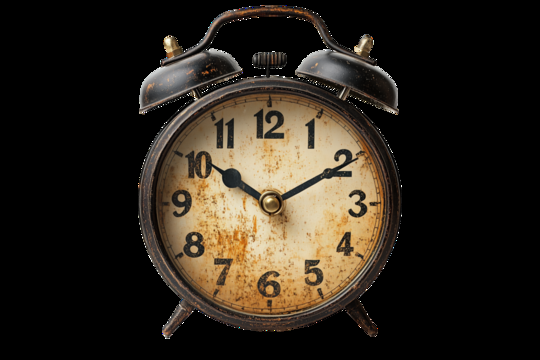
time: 10:10
